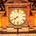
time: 7:40
